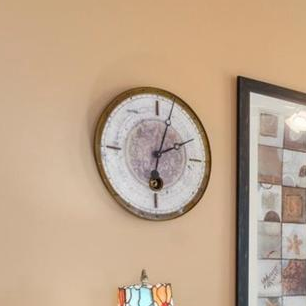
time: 2:03
